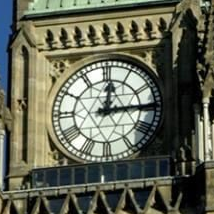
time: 12:14
